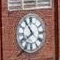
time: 7:54
